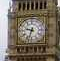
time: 9:33
